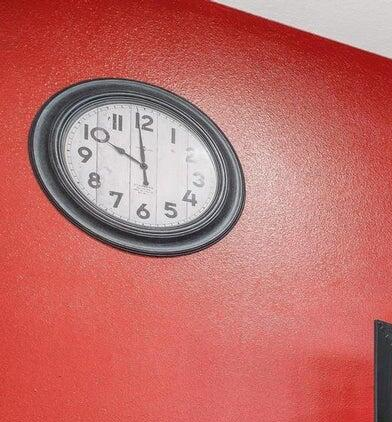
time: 9:59
